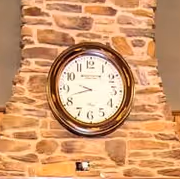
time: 9:42
